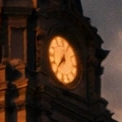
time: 7:03
